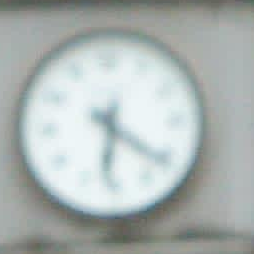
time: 6:21
